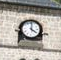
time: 4:01
